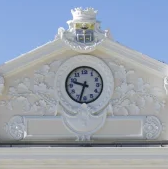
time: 9:33
